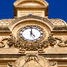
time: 5:00
